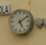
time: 5:09
